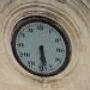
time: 5:29
